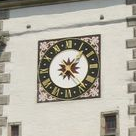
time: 7:07
